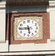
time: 5:44
